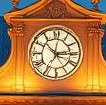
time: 2:52
